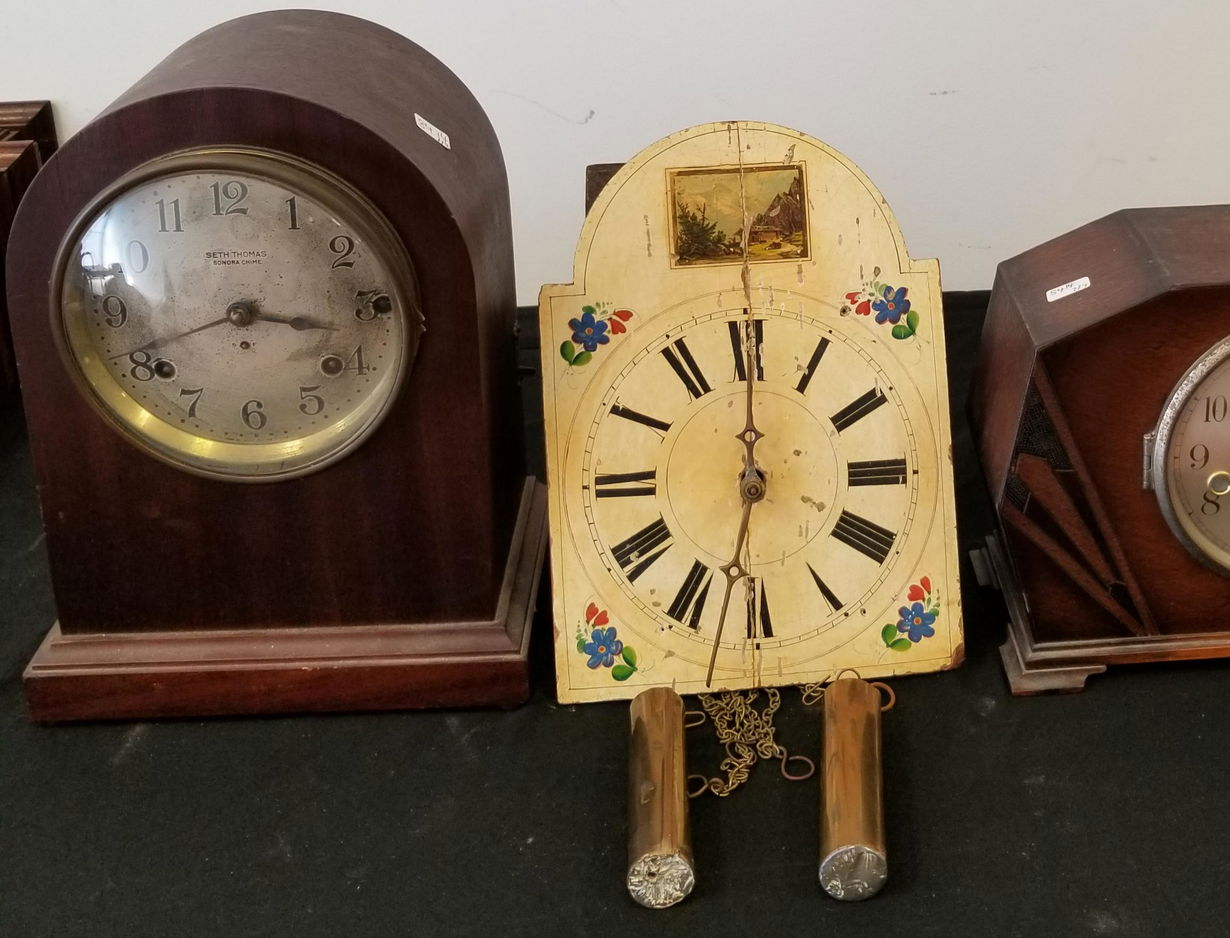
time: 8:16
